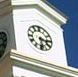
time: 3:28
